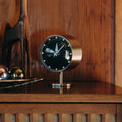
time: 12:07
